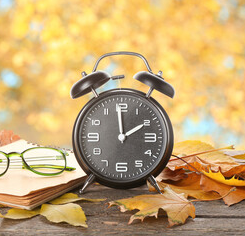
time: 1:59
